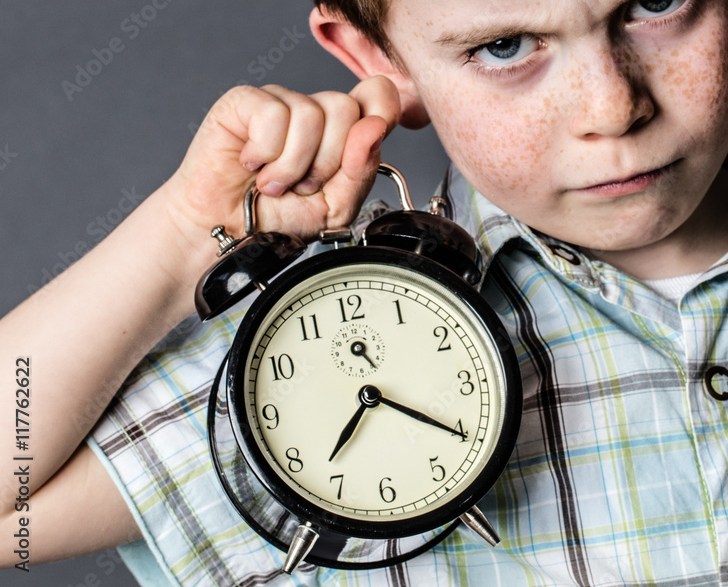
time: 7:20
